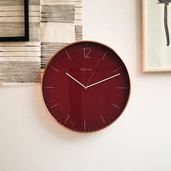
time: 10:11
